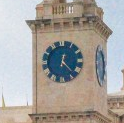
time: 12:23
